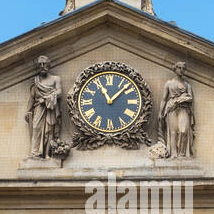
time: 11:07
